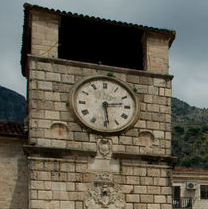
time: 2:28
